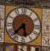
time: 5:37
